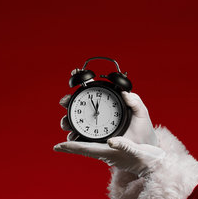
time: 11:55
